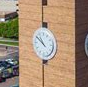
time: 10:50
